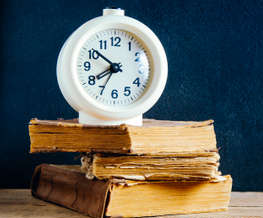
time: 7:51
